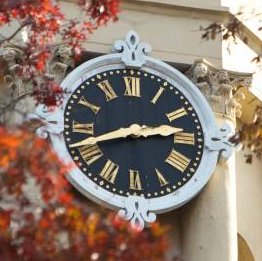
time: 2:41
